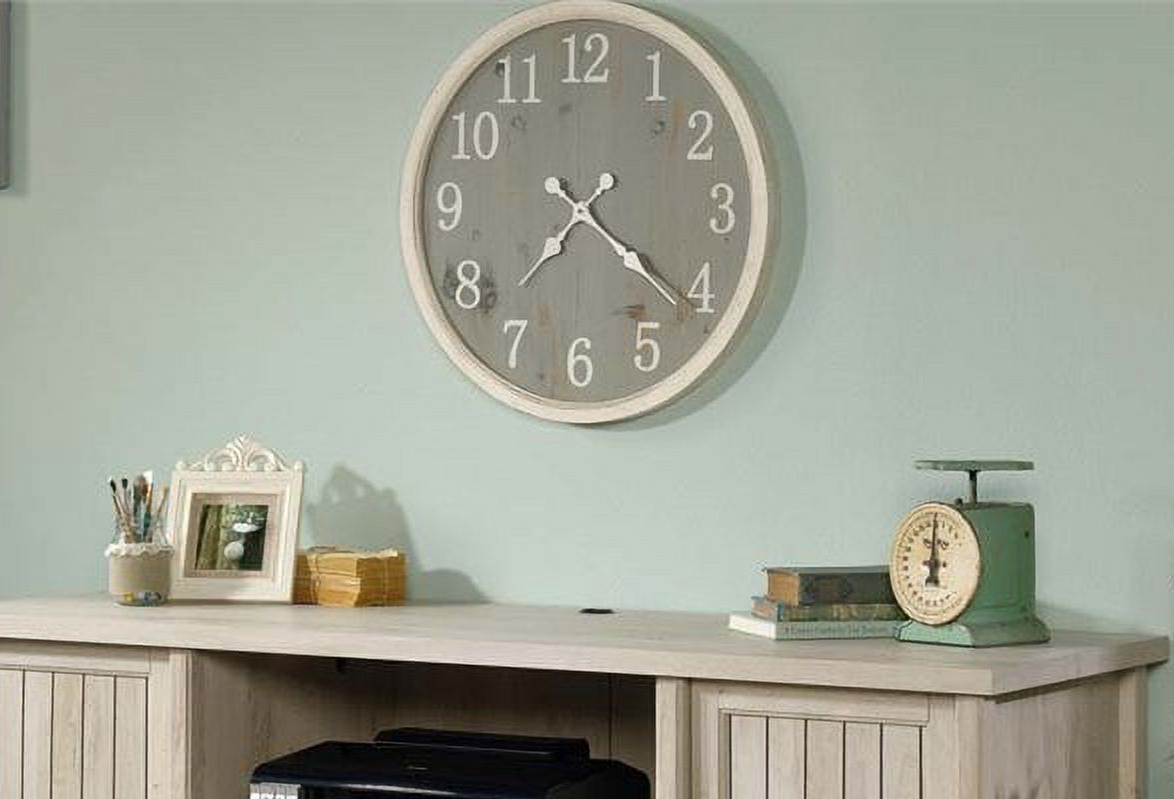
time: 7:21
